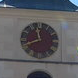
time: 11:41
